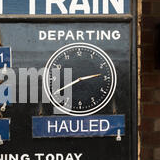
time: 2:40
